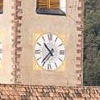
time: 10:36
